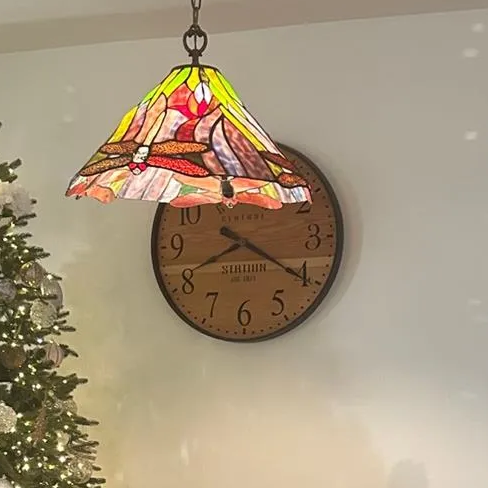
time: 8:20
